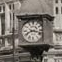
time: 8:17
